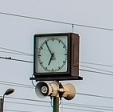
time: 6:54
